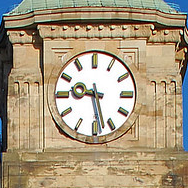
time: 9:28
